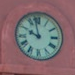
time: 9:57
